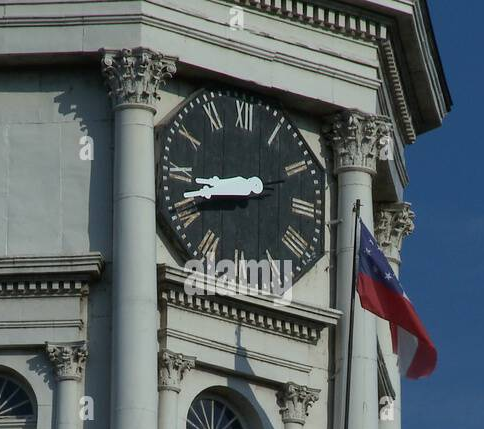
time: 8:42
